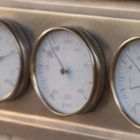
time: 8:53
